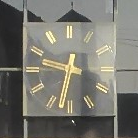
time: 9:32
